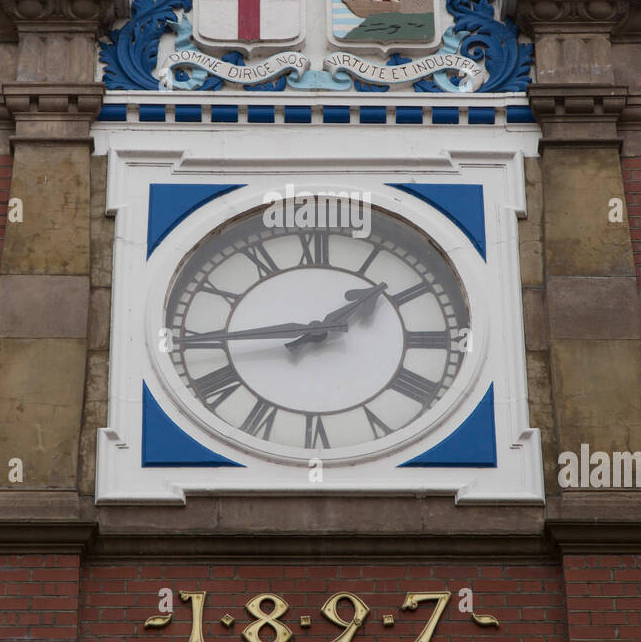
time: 1:44
